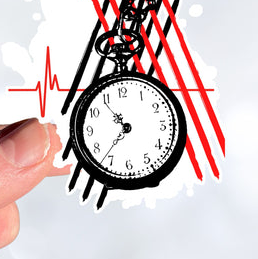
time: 10:36
